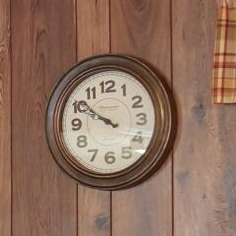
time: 9:50
